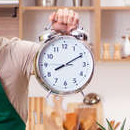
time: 8:10
